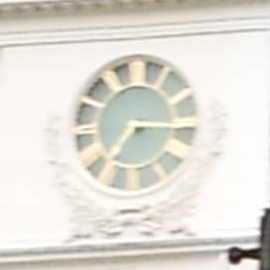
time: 7:15
